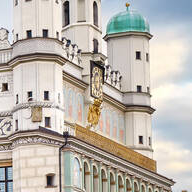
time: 2:48
